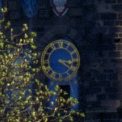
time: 3:20
